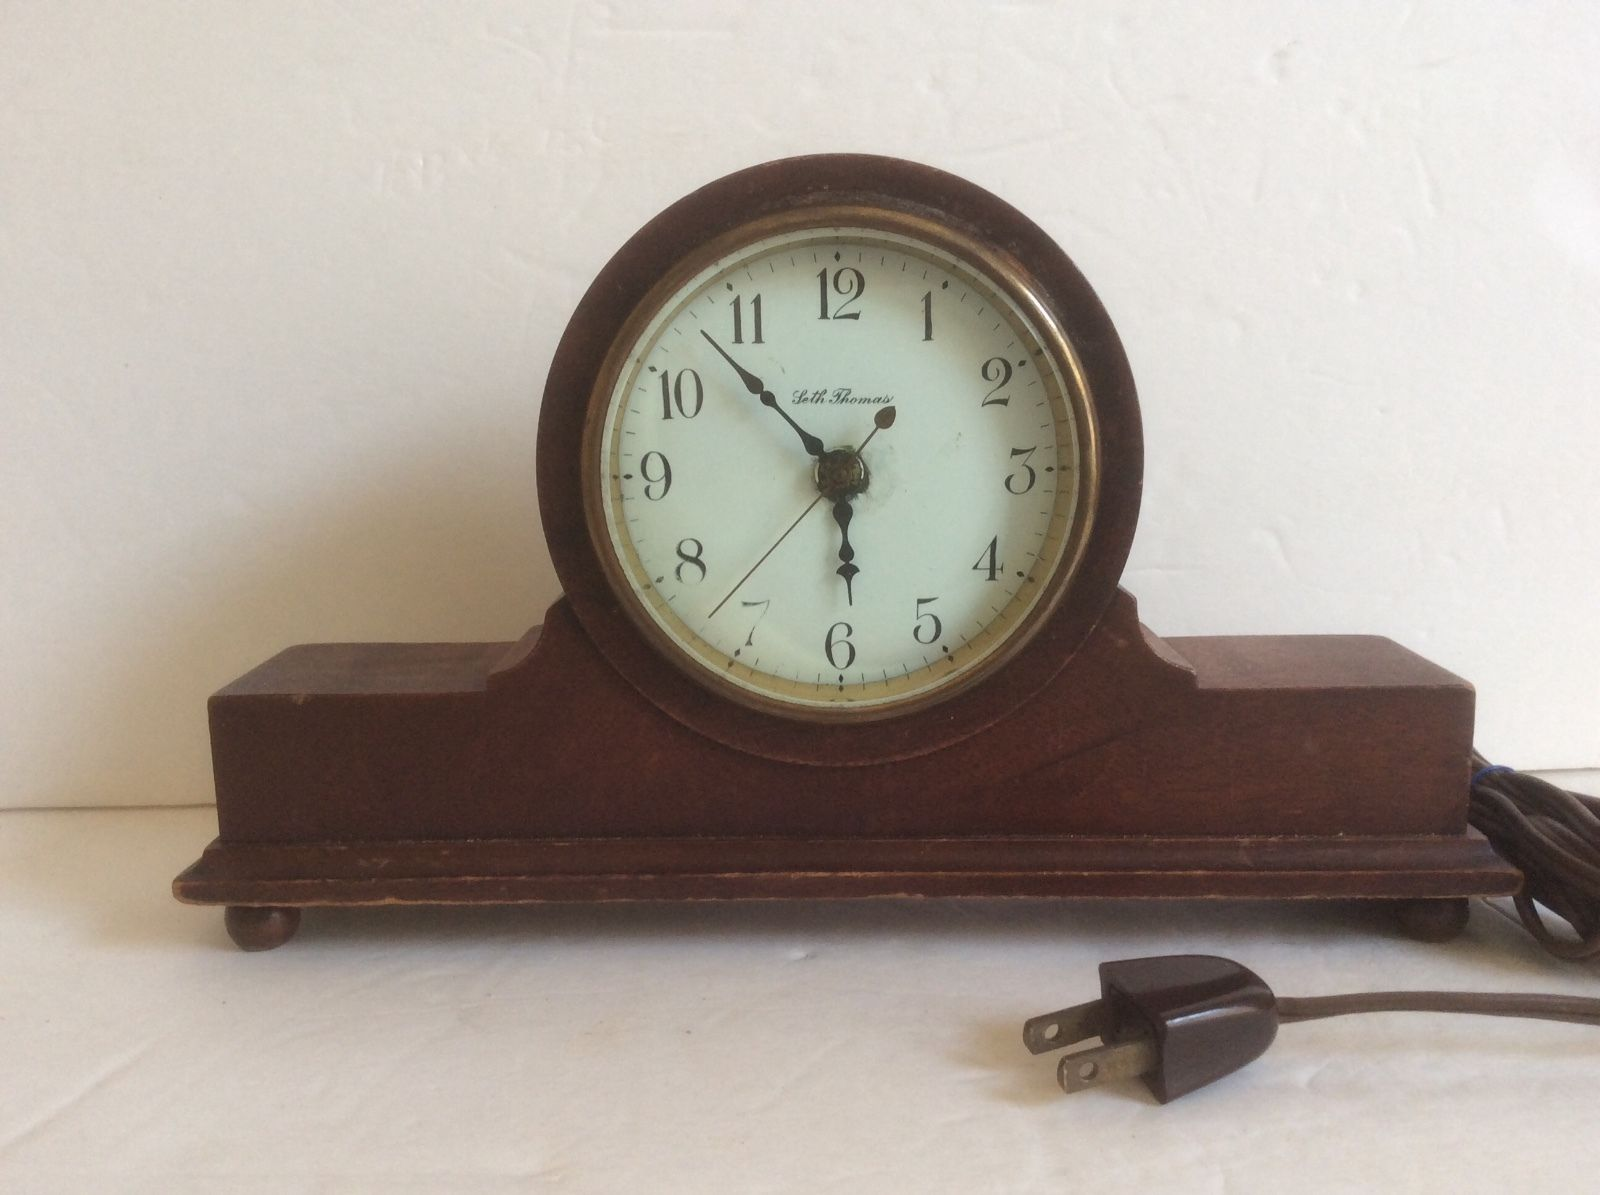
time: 5:53
